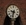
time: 9:33
